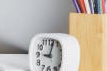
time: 9:01
